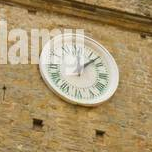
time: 12:07
